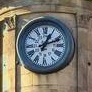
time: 1:11
